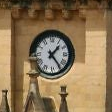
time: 1:23
